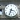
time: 3:33
